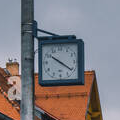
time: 10:20
